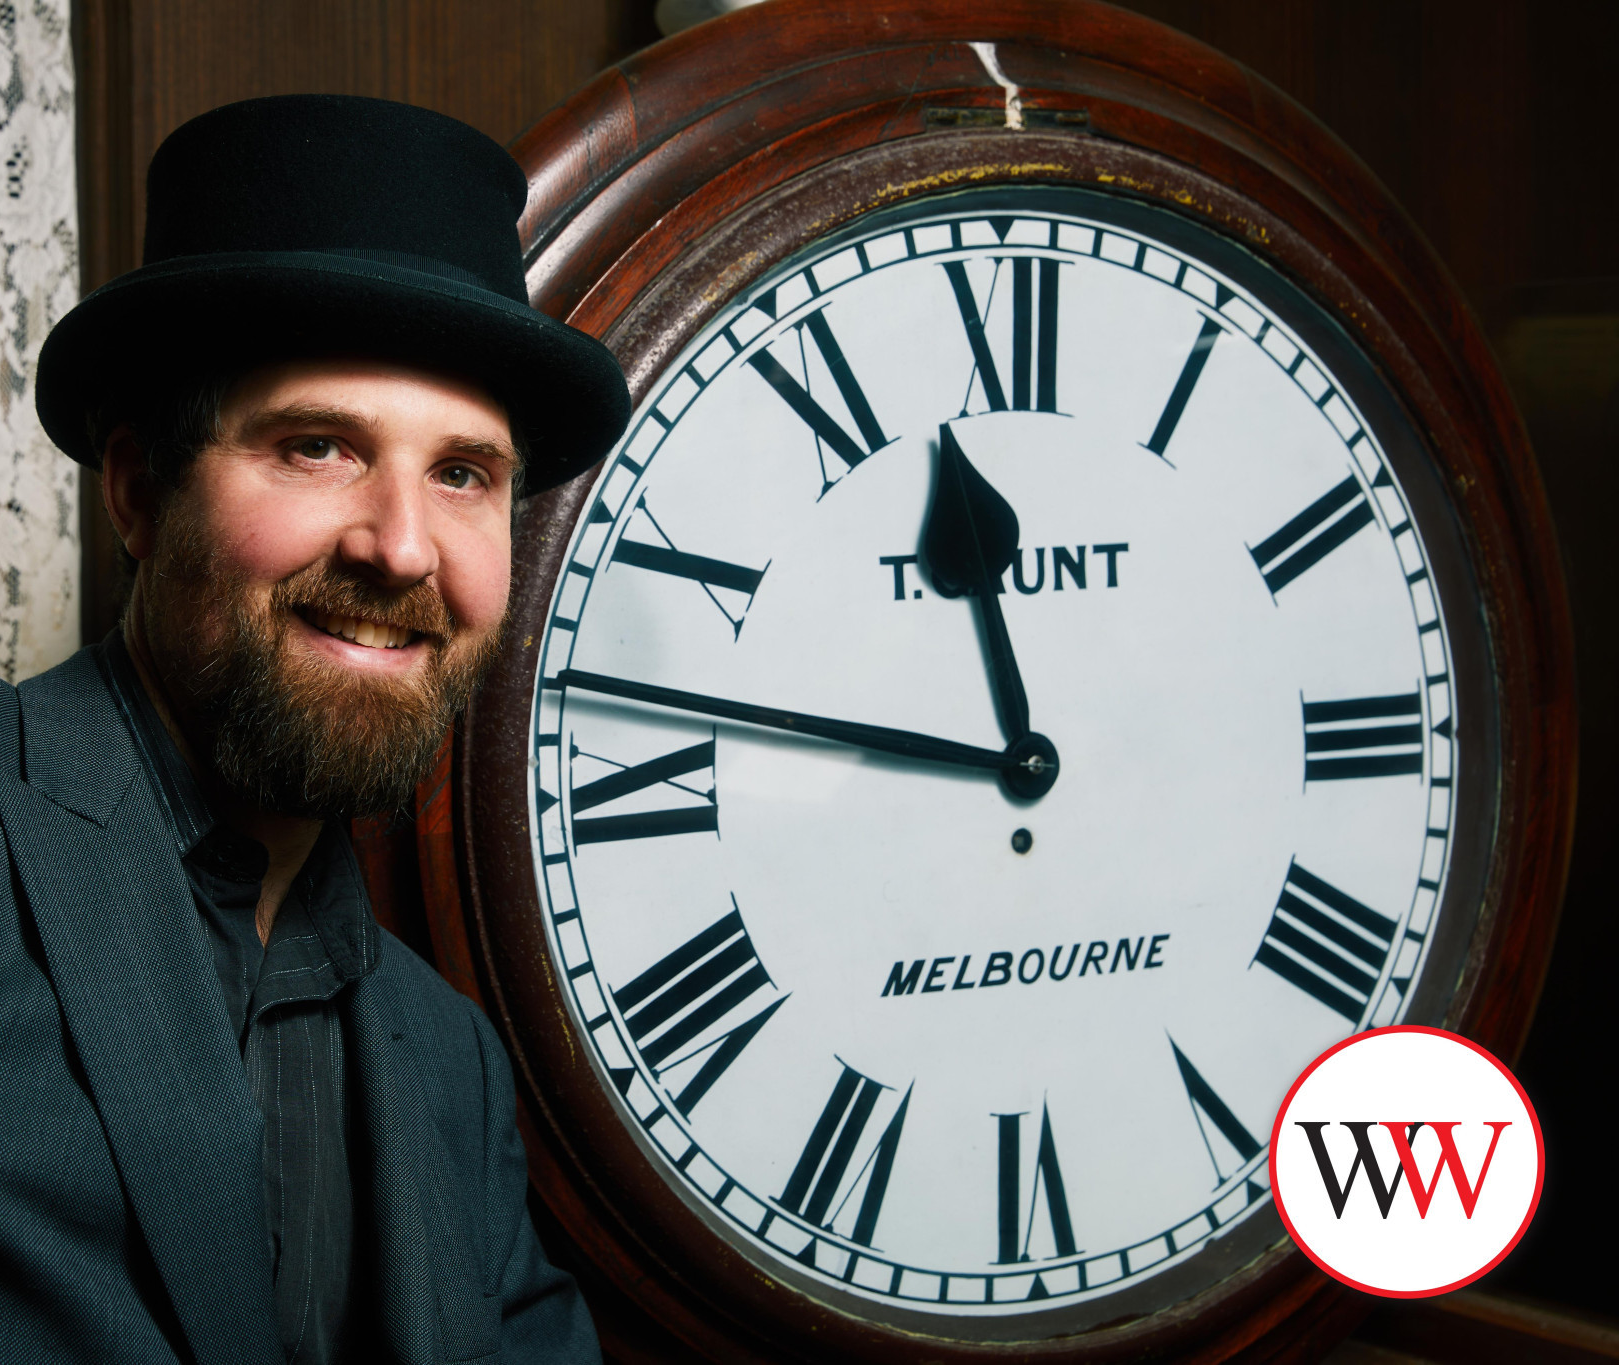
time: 11:46
